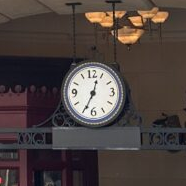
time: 12:34
